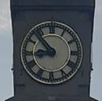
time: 8:53
